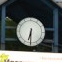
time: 6:30
